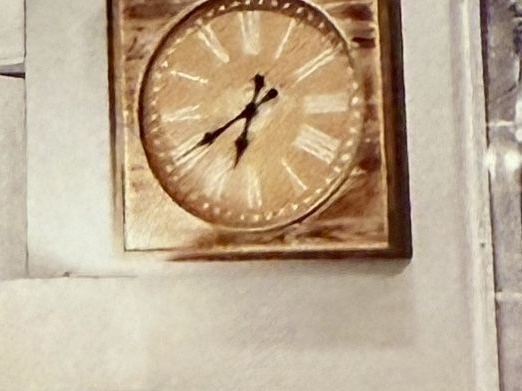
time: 6:40
